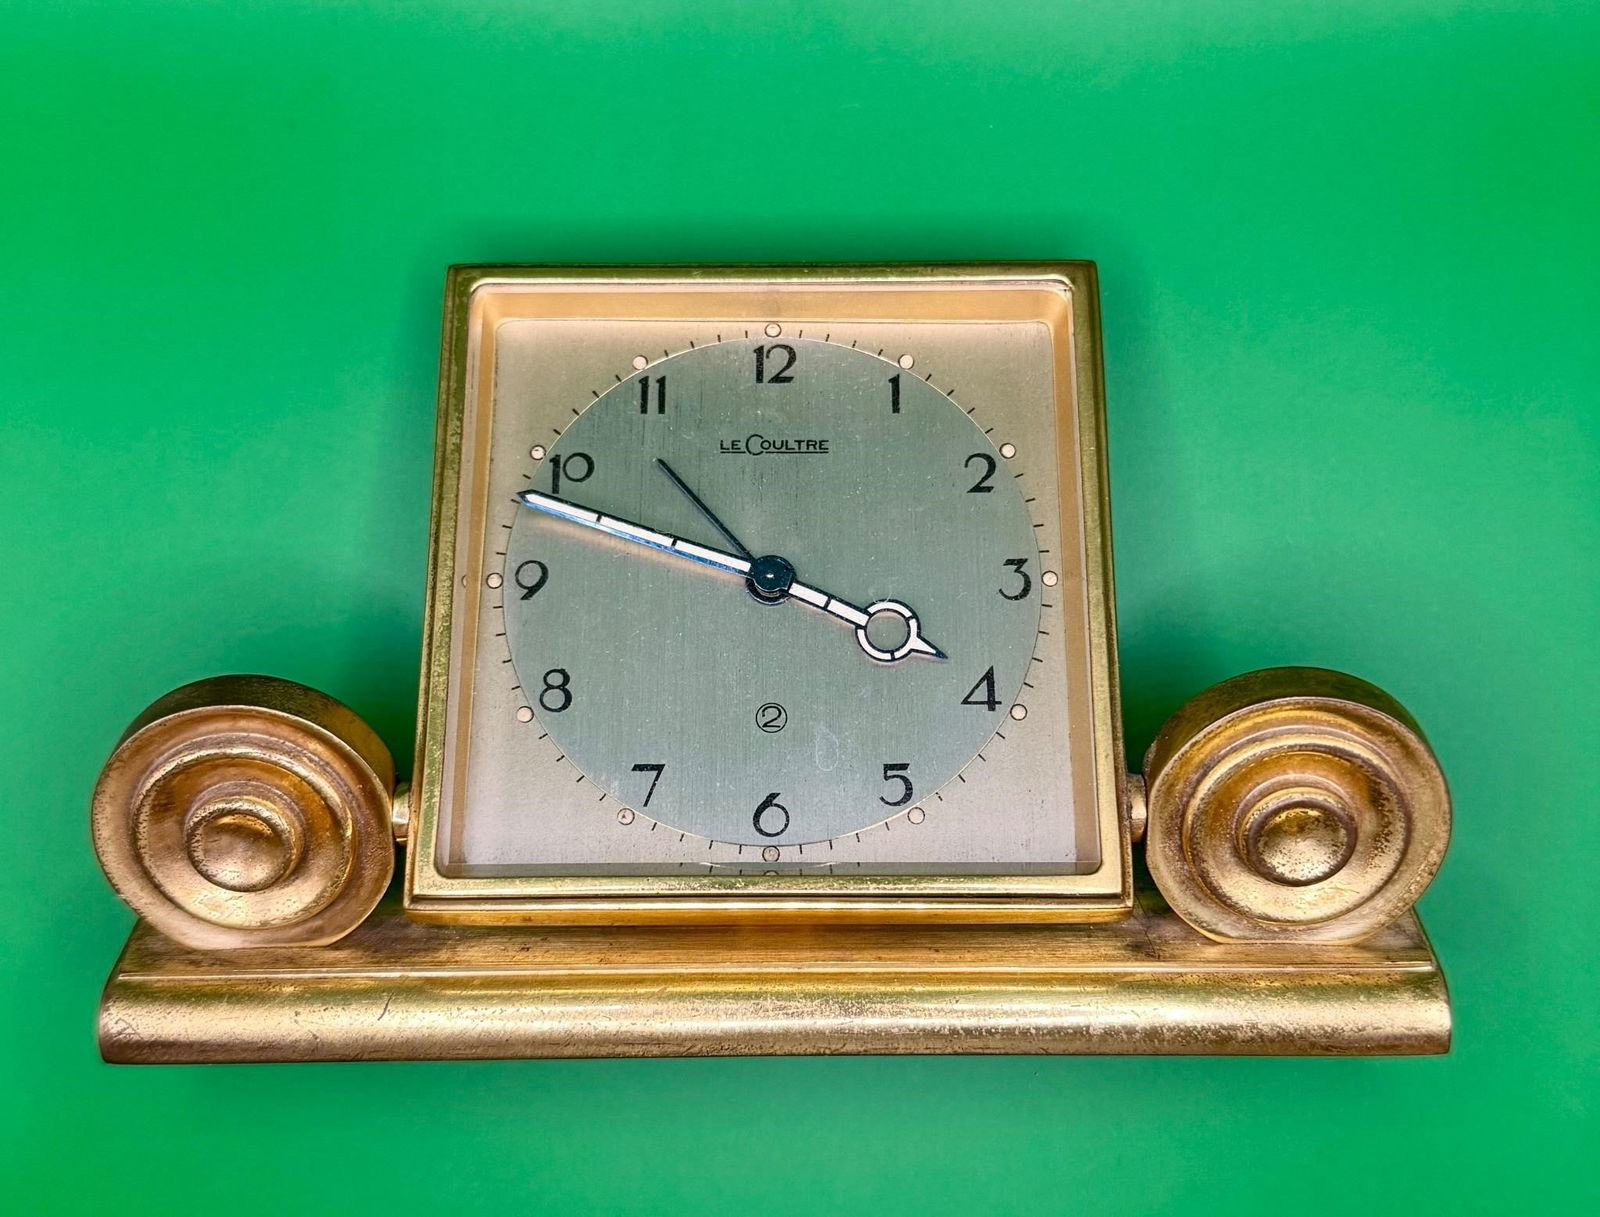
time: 3:48
